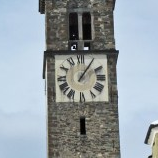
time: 1:05
